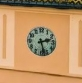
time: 2:27
